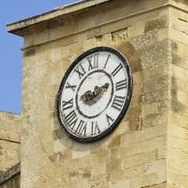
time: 9:12
